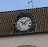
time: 10:07
